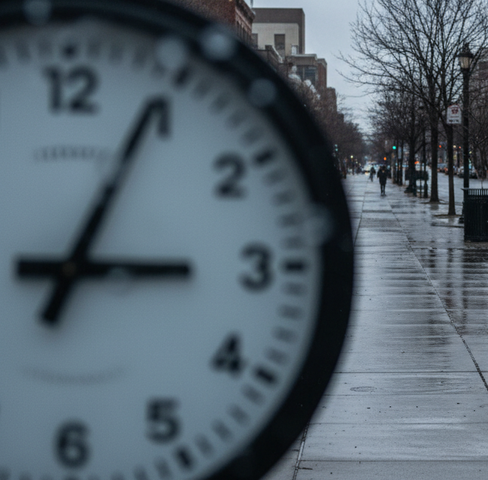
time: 3:04
